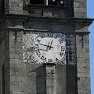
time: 12:47
